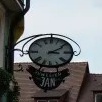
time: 3:10
